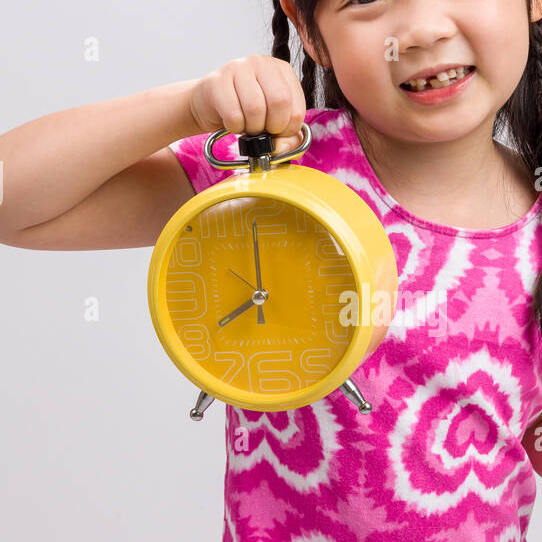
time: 8:00
